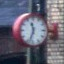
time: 11:33
